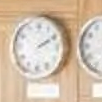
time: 2:09
